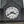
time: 3:40
